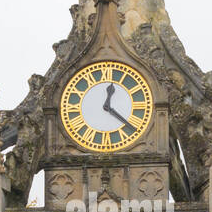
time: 12:20
